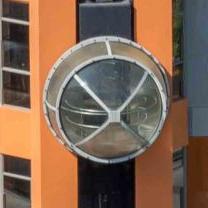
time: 9:07
